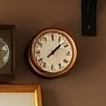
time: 1:07
